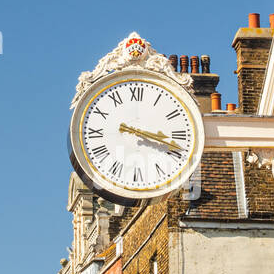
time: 3:18
